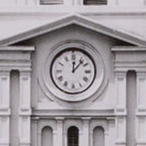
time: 12:06
